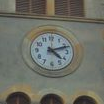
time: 4:11
